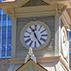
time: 11:25
